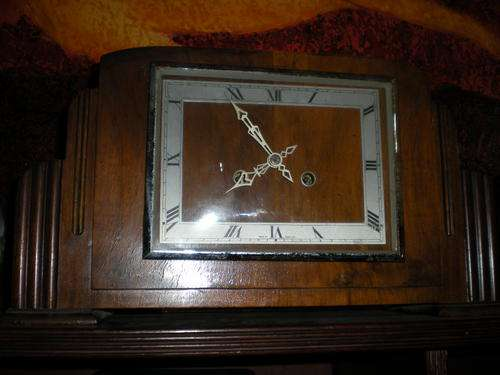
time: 7:54
